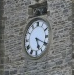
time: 5:19
